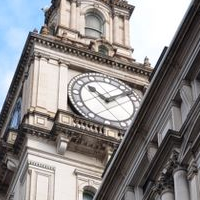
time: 10:07
